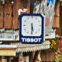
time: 5:30
